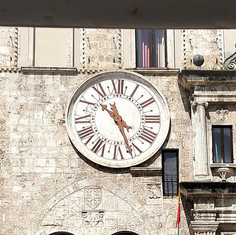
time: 4:26
